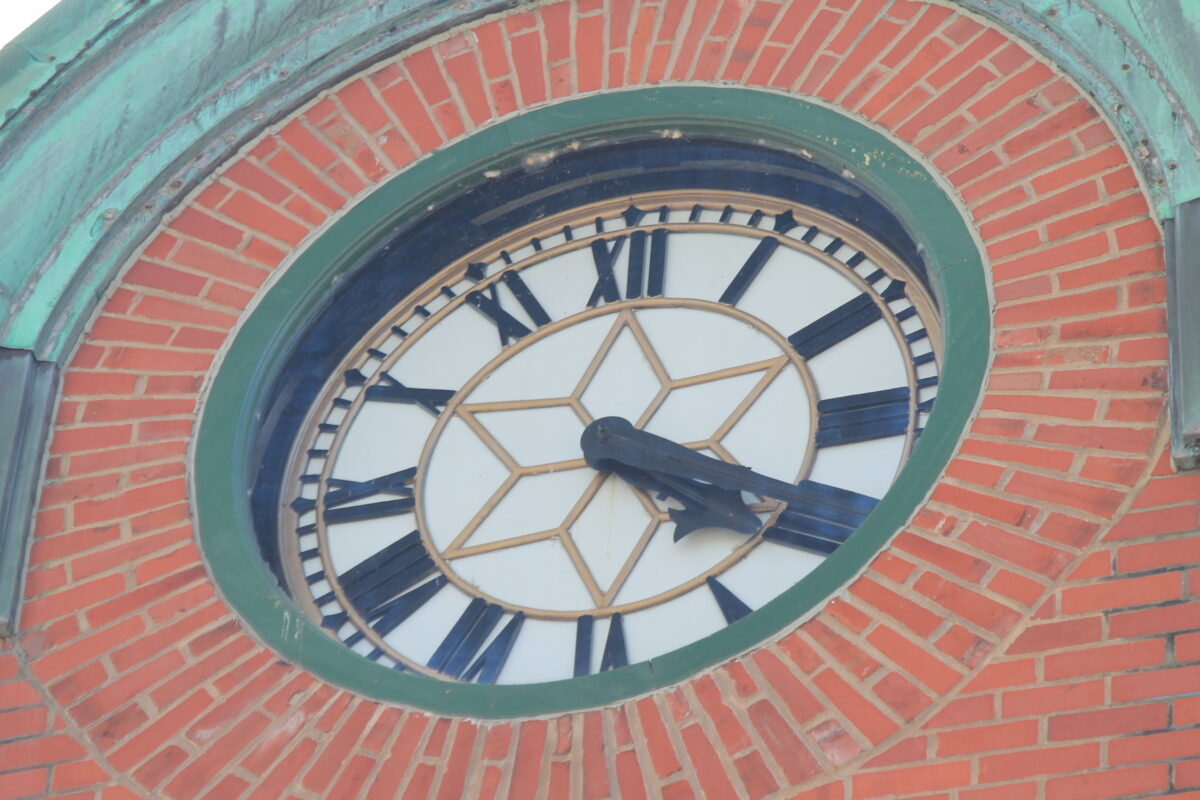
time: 4:19
